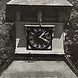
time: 1:19
